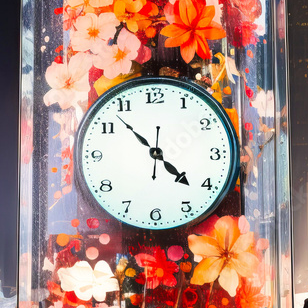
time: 4:22
